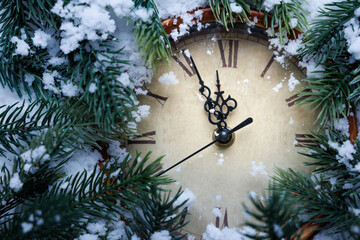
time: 11:56
